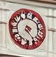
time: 4:23
